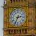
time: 2:34
